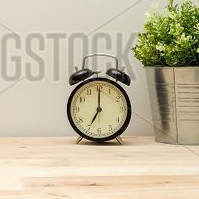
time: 7:00
